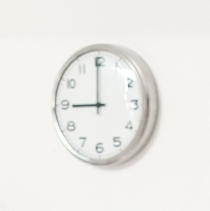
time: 8:59
